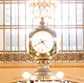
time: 4:40
